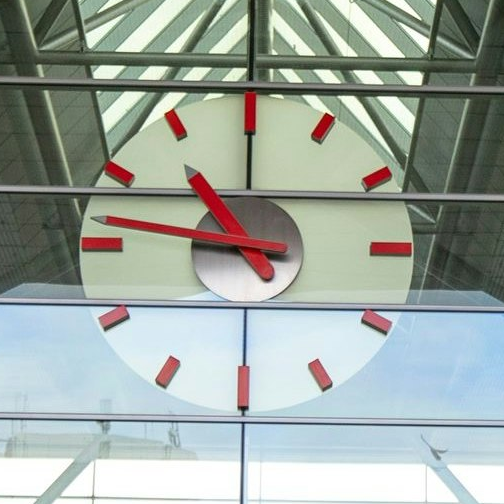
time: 10:47
